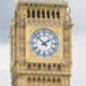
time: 1:52
